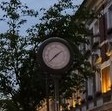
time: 1:37
